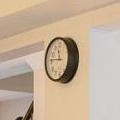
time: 11:45
